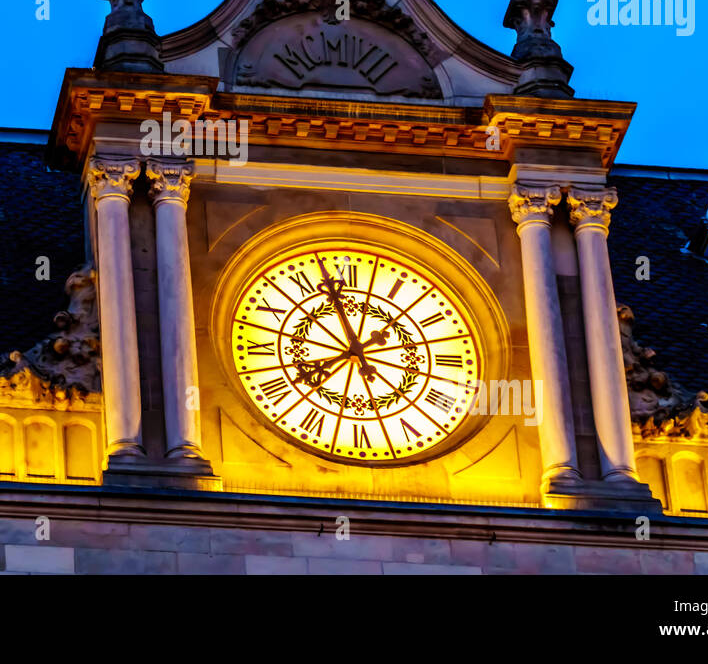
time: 7:57
